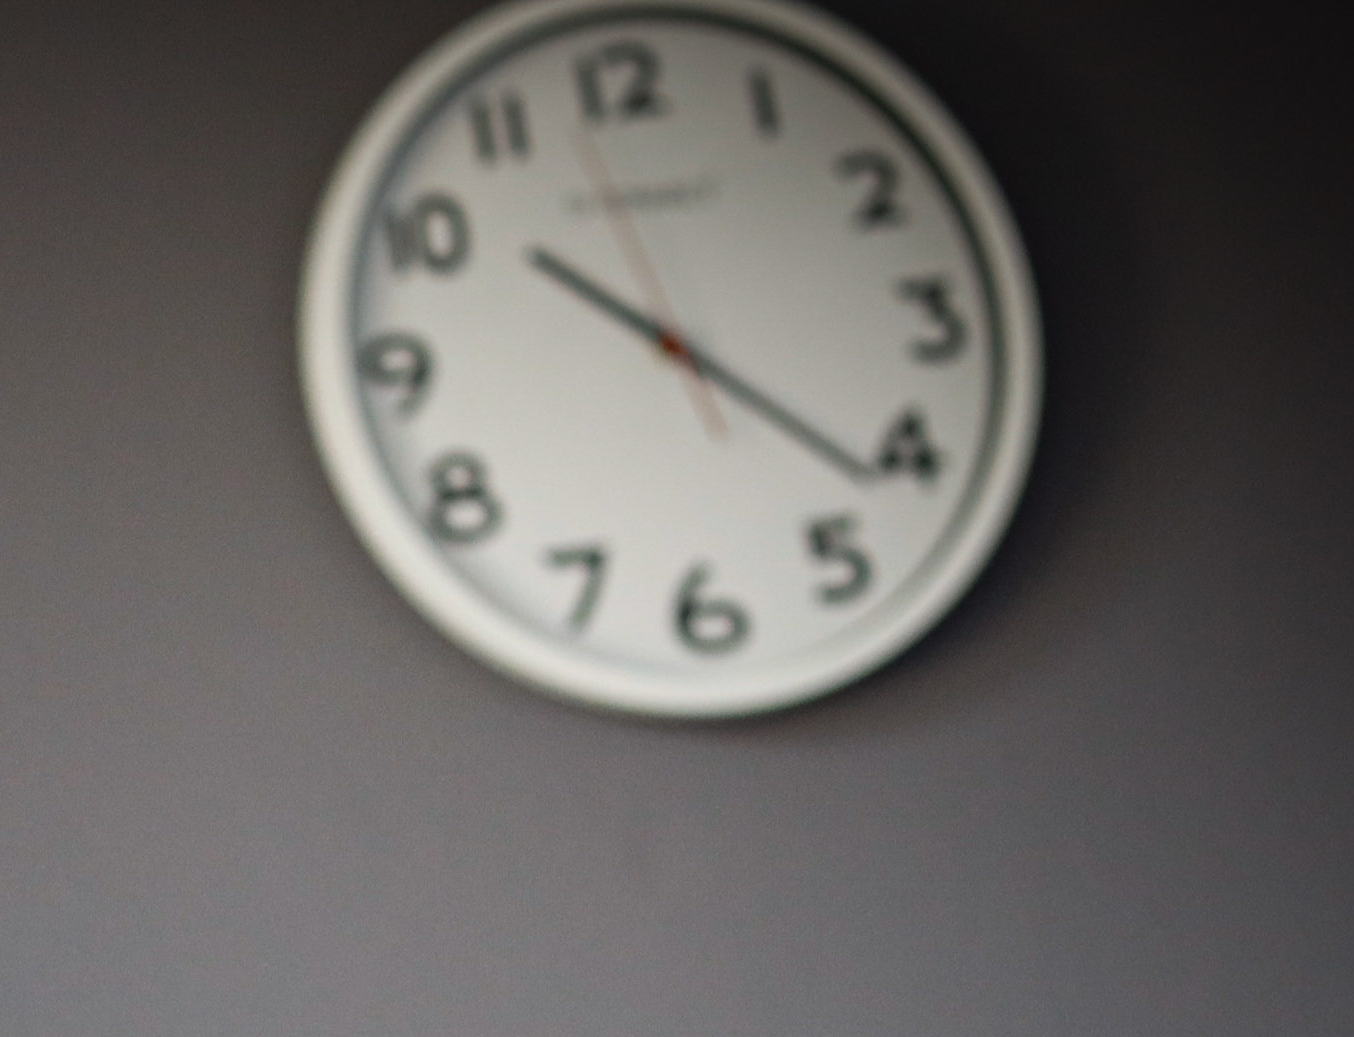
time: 10:21
